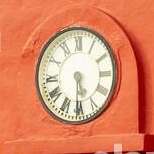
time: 5:30
